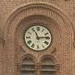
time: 11:13
